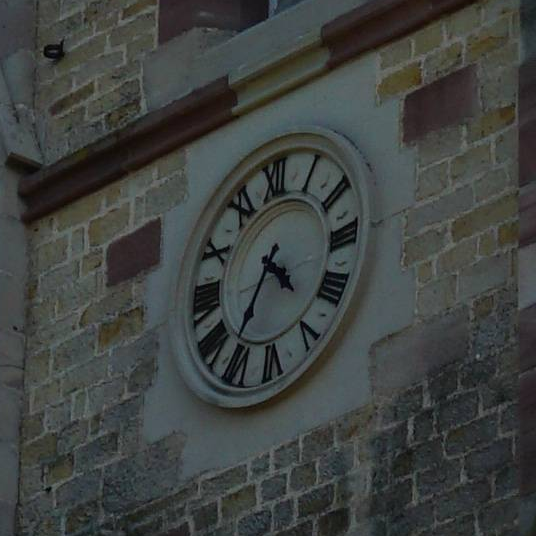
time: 4:35
